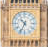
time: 10:34
